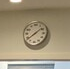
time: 1:38
